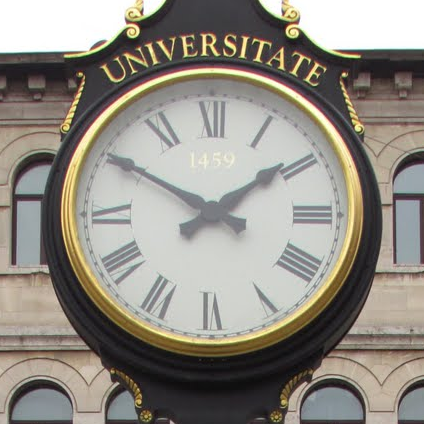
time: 1:50
